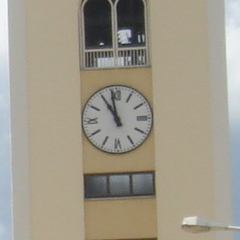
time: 10:58
